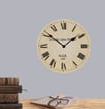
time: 1:51
